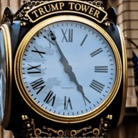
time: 4:55
